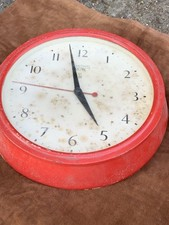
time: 4:57
